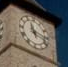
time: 11:17
